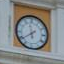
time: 11:39
